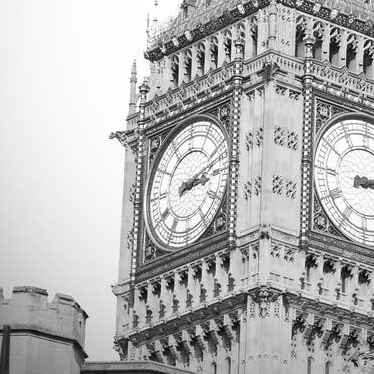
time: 3:12
